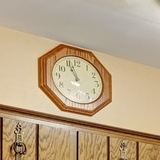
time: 10:56
